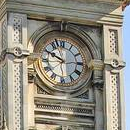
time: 9:57
